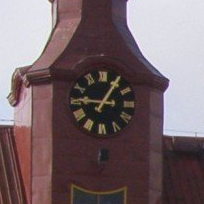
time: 9:05
